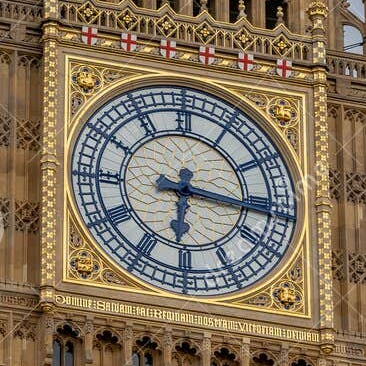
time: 6:16
